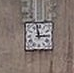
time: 2:58
